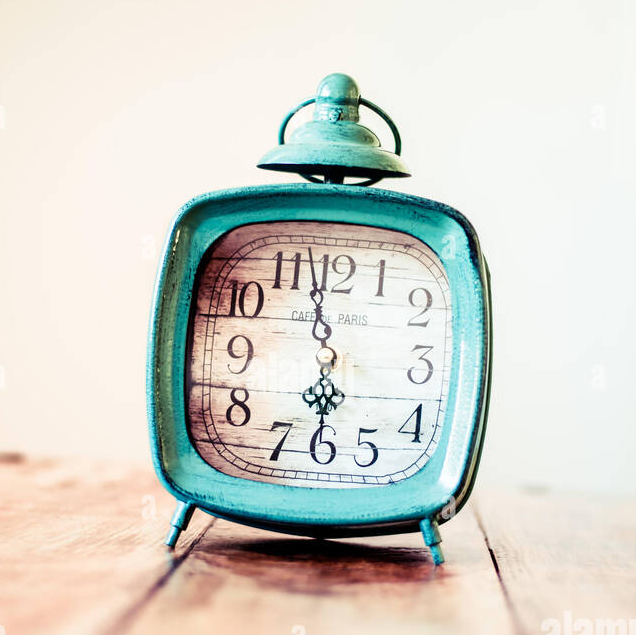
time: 5:58
